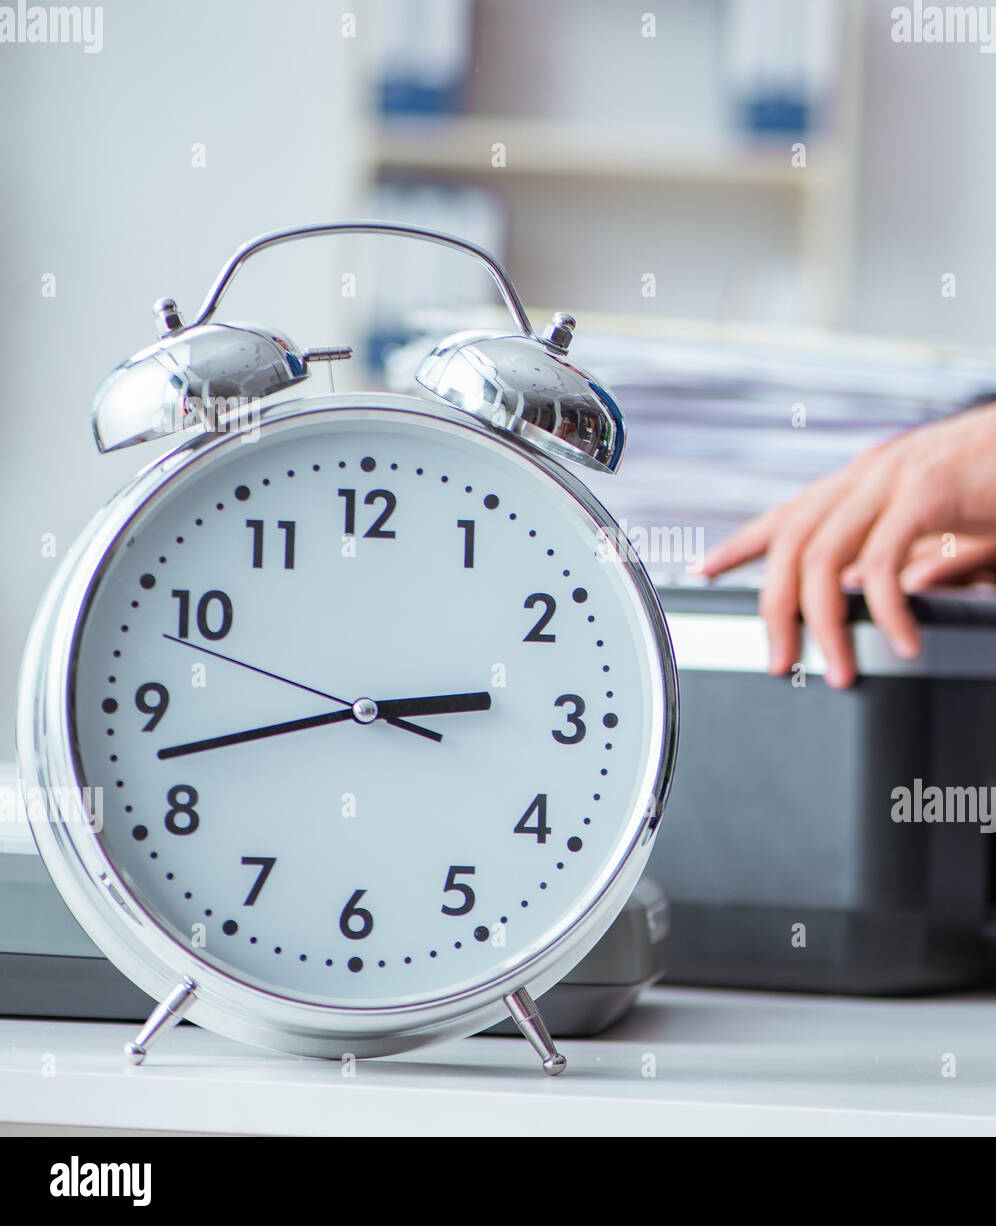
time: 2:42
